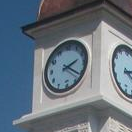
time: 2:21
